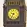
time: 9:35
